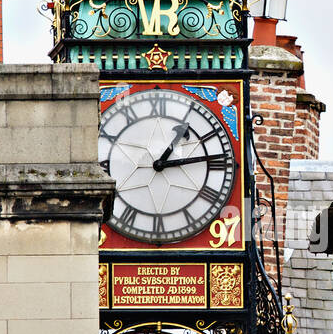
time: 1:13
